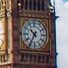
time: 10:35
